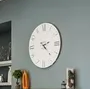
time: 2:22
